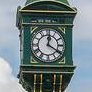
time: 12:20
